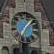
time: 7:07
